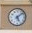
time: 5:08
